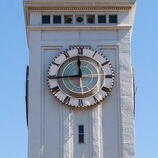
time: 11:44
